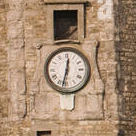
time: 12:32
